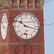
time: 10:17
